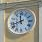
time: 11:42
